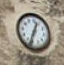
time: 12:32
